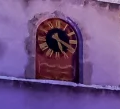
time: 5:18
